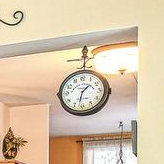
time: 1:32
